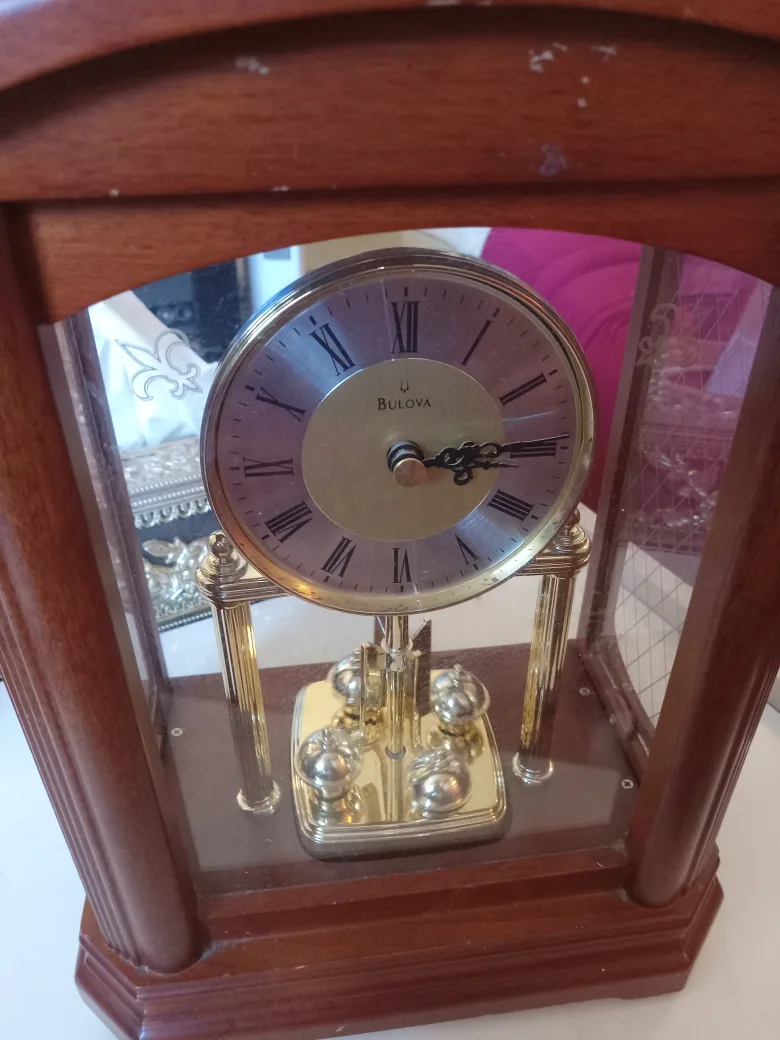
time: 3:13
